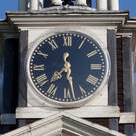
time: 7:28
